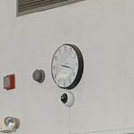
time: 3:17
